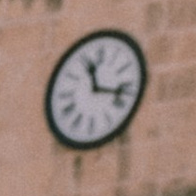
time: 11:16
